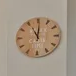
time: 11:00
